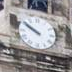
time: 9:50
